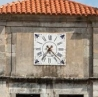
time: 7:22
